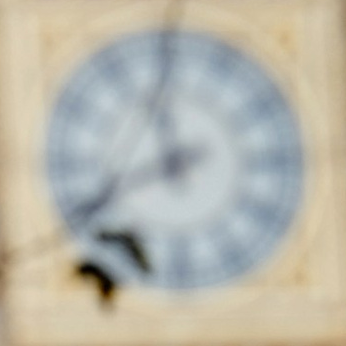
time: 11:41
